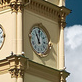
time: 11:01
